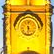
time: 5:31
